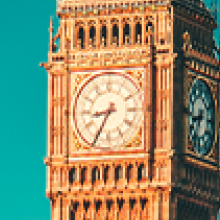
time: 8:34
